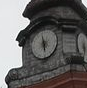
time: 5:57
